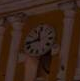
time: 11:42
